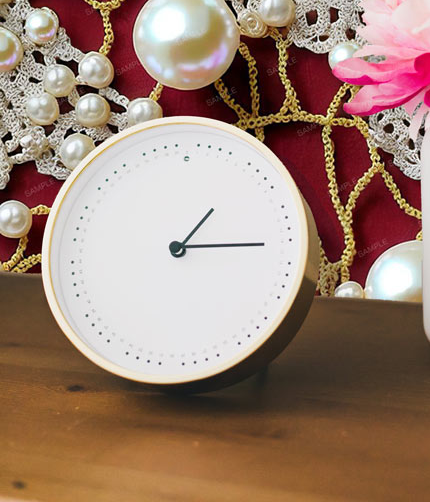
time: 1:14
